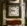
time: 8:48
